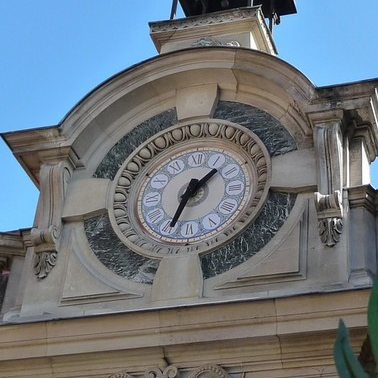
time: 1:33
